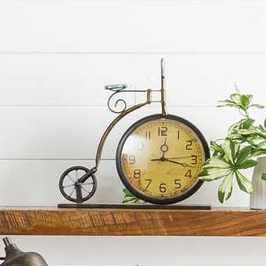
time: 12:18
